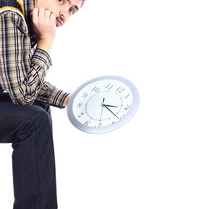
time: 3:22
